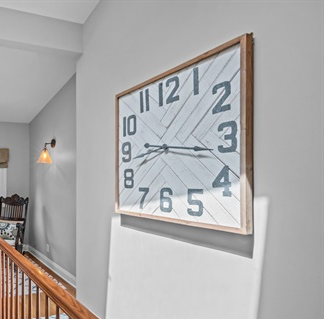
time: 9:16
